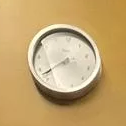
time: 7:37
